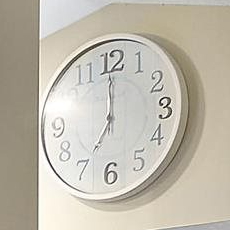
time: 6:59
